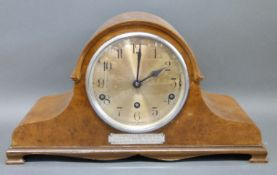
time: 2:00
